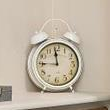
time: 11:45
